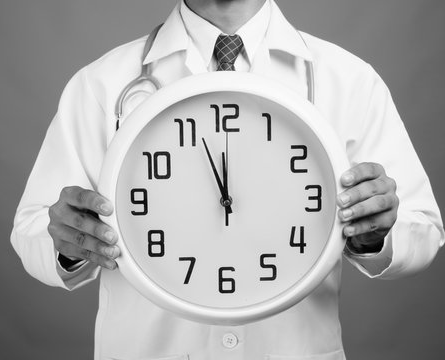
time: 11:56
